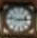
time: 2:46
